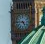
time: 4:45
